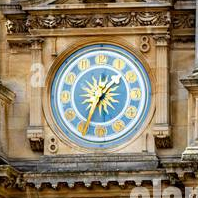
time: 1:34
